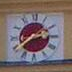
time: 2:38
